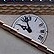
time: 9:57
